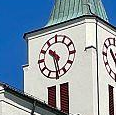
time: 10:28
